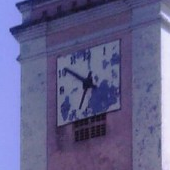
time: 6:50
